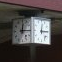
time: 12:14
